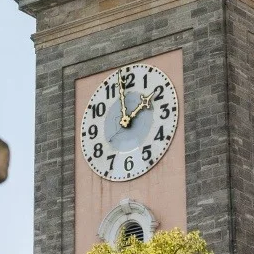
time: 1:58
